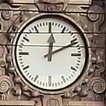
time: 12:11
